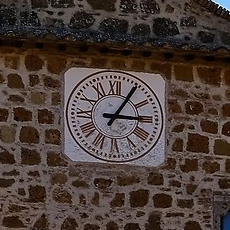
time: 3:05
